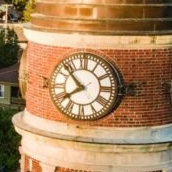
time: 7:52
